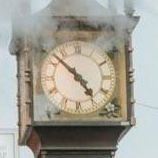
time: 4:52
